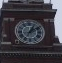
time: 1:09
